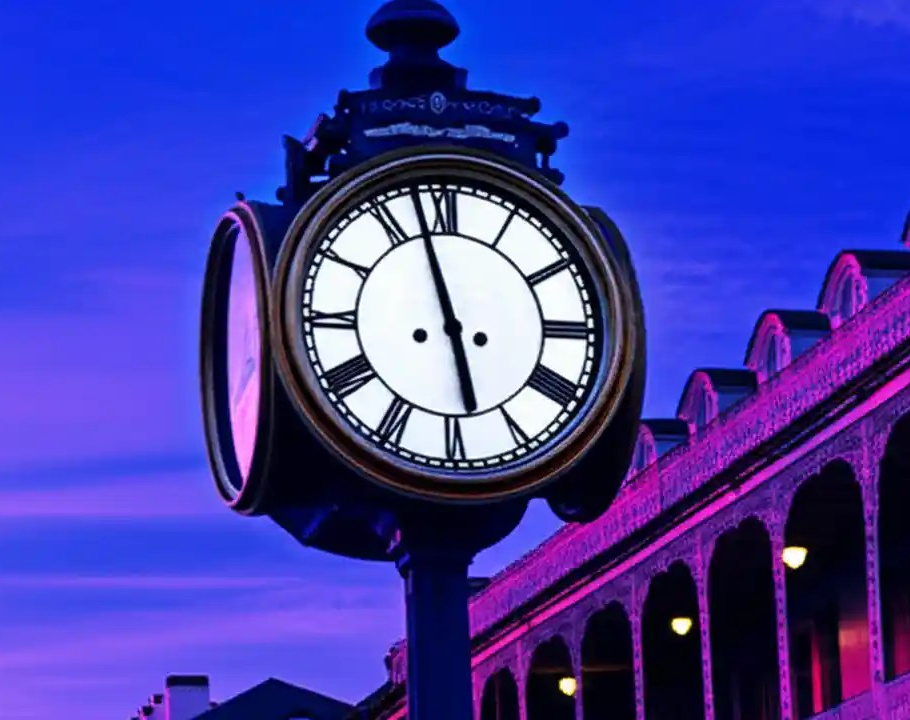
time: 5:57
